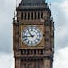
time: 10:43
